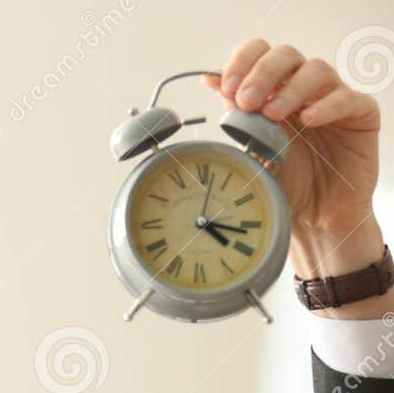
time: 4:16
